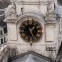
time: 1:26
